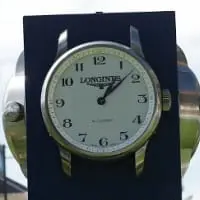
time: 1:08
